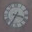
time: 3:35
